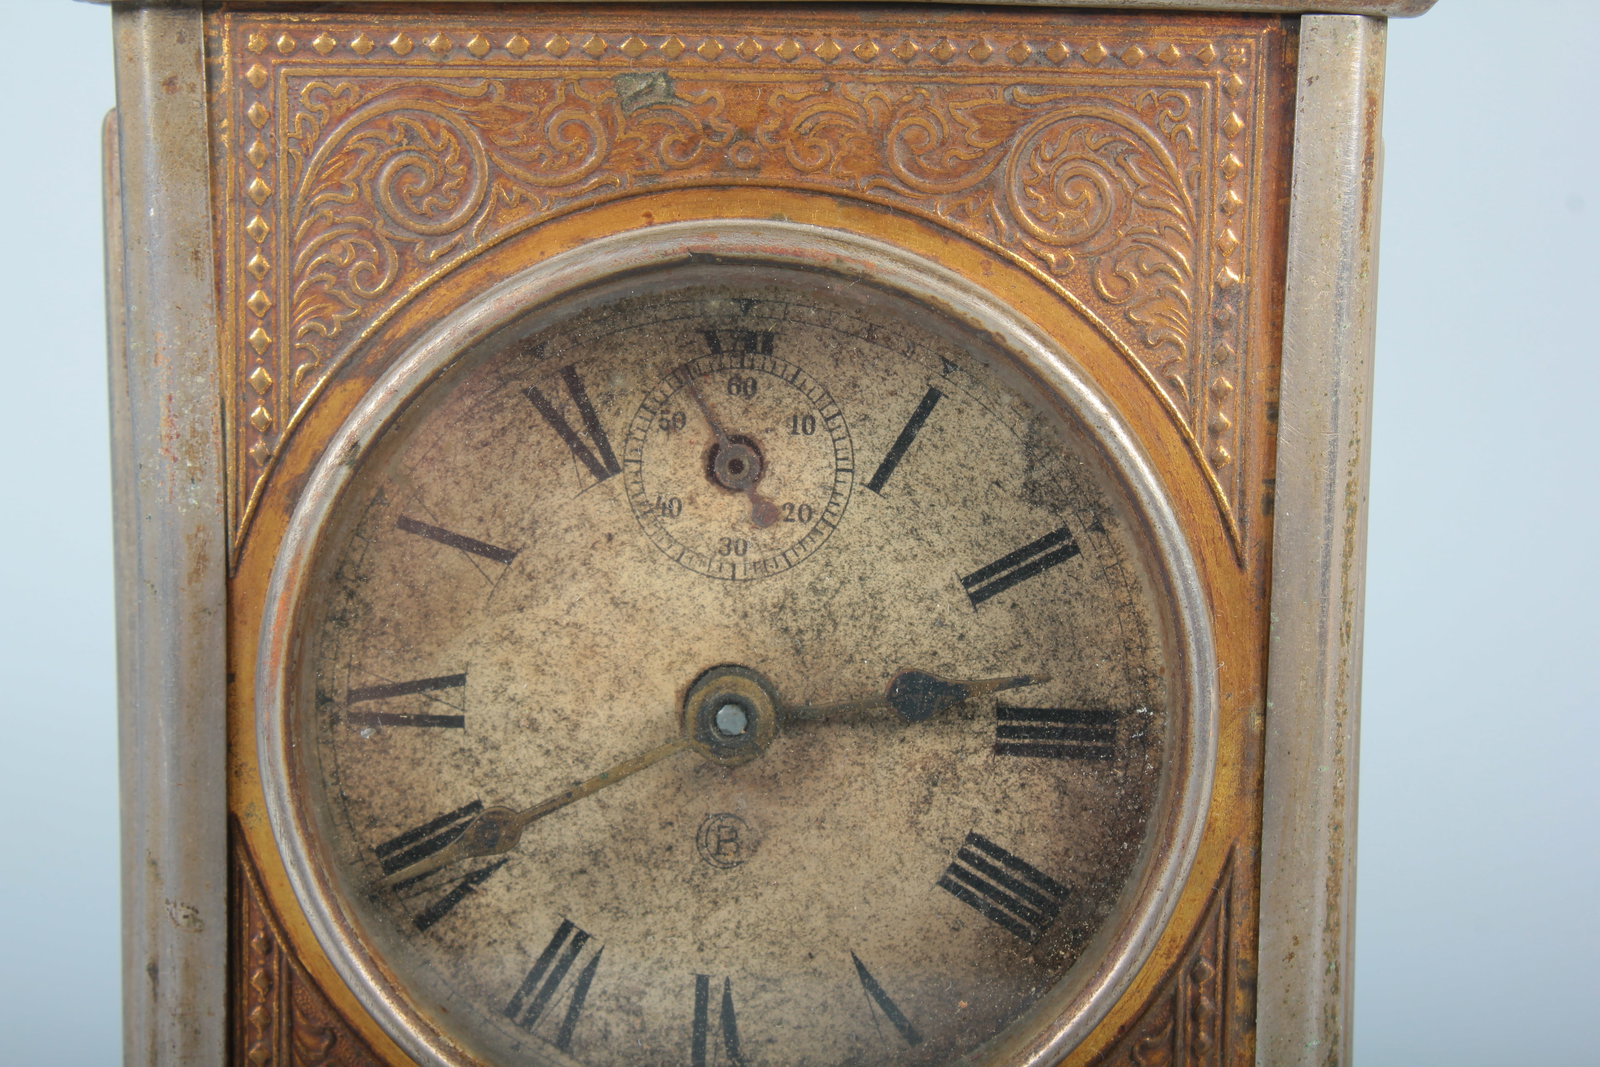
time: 2:40
